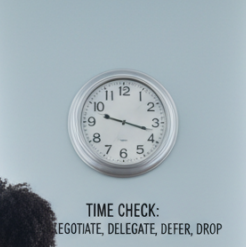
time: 9:17
